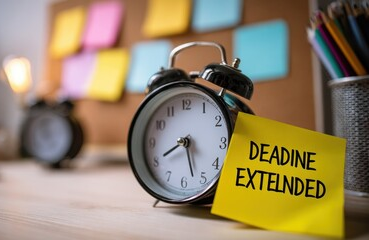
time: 5:40
